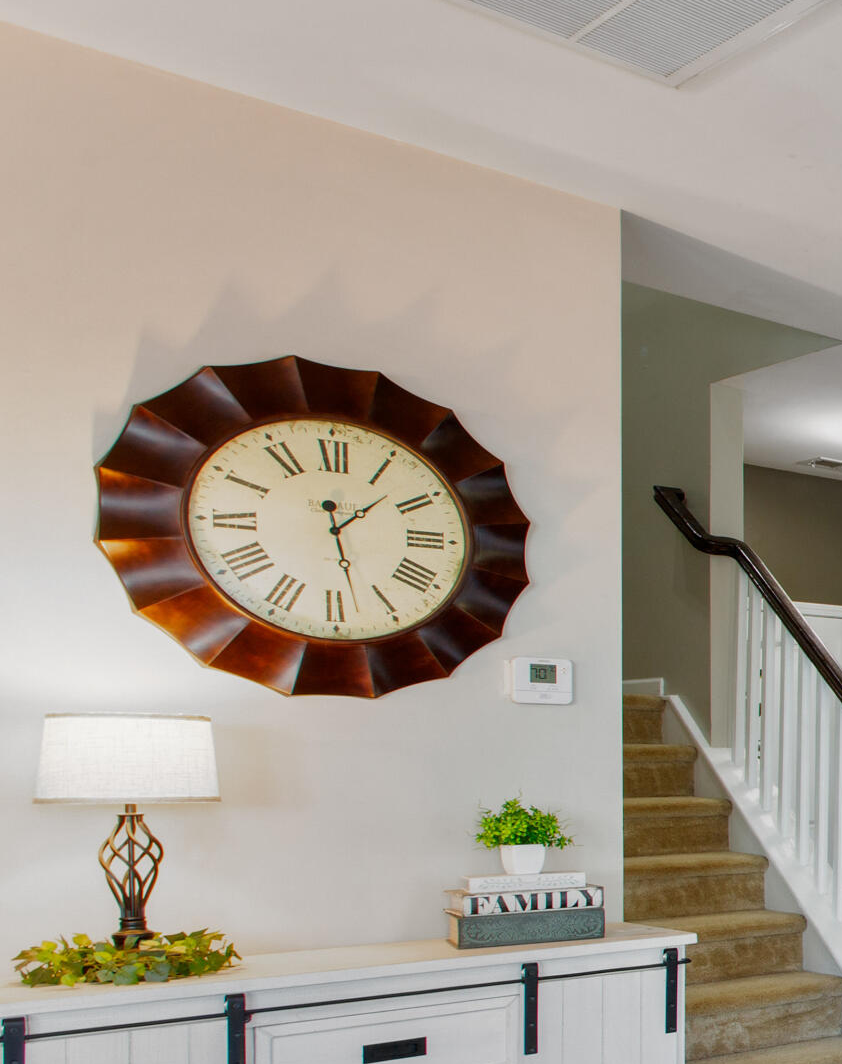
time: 1:28
